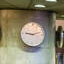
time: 9:12
